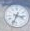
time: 3:33
